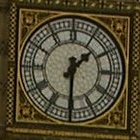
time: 1:30
